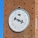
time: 3:48
